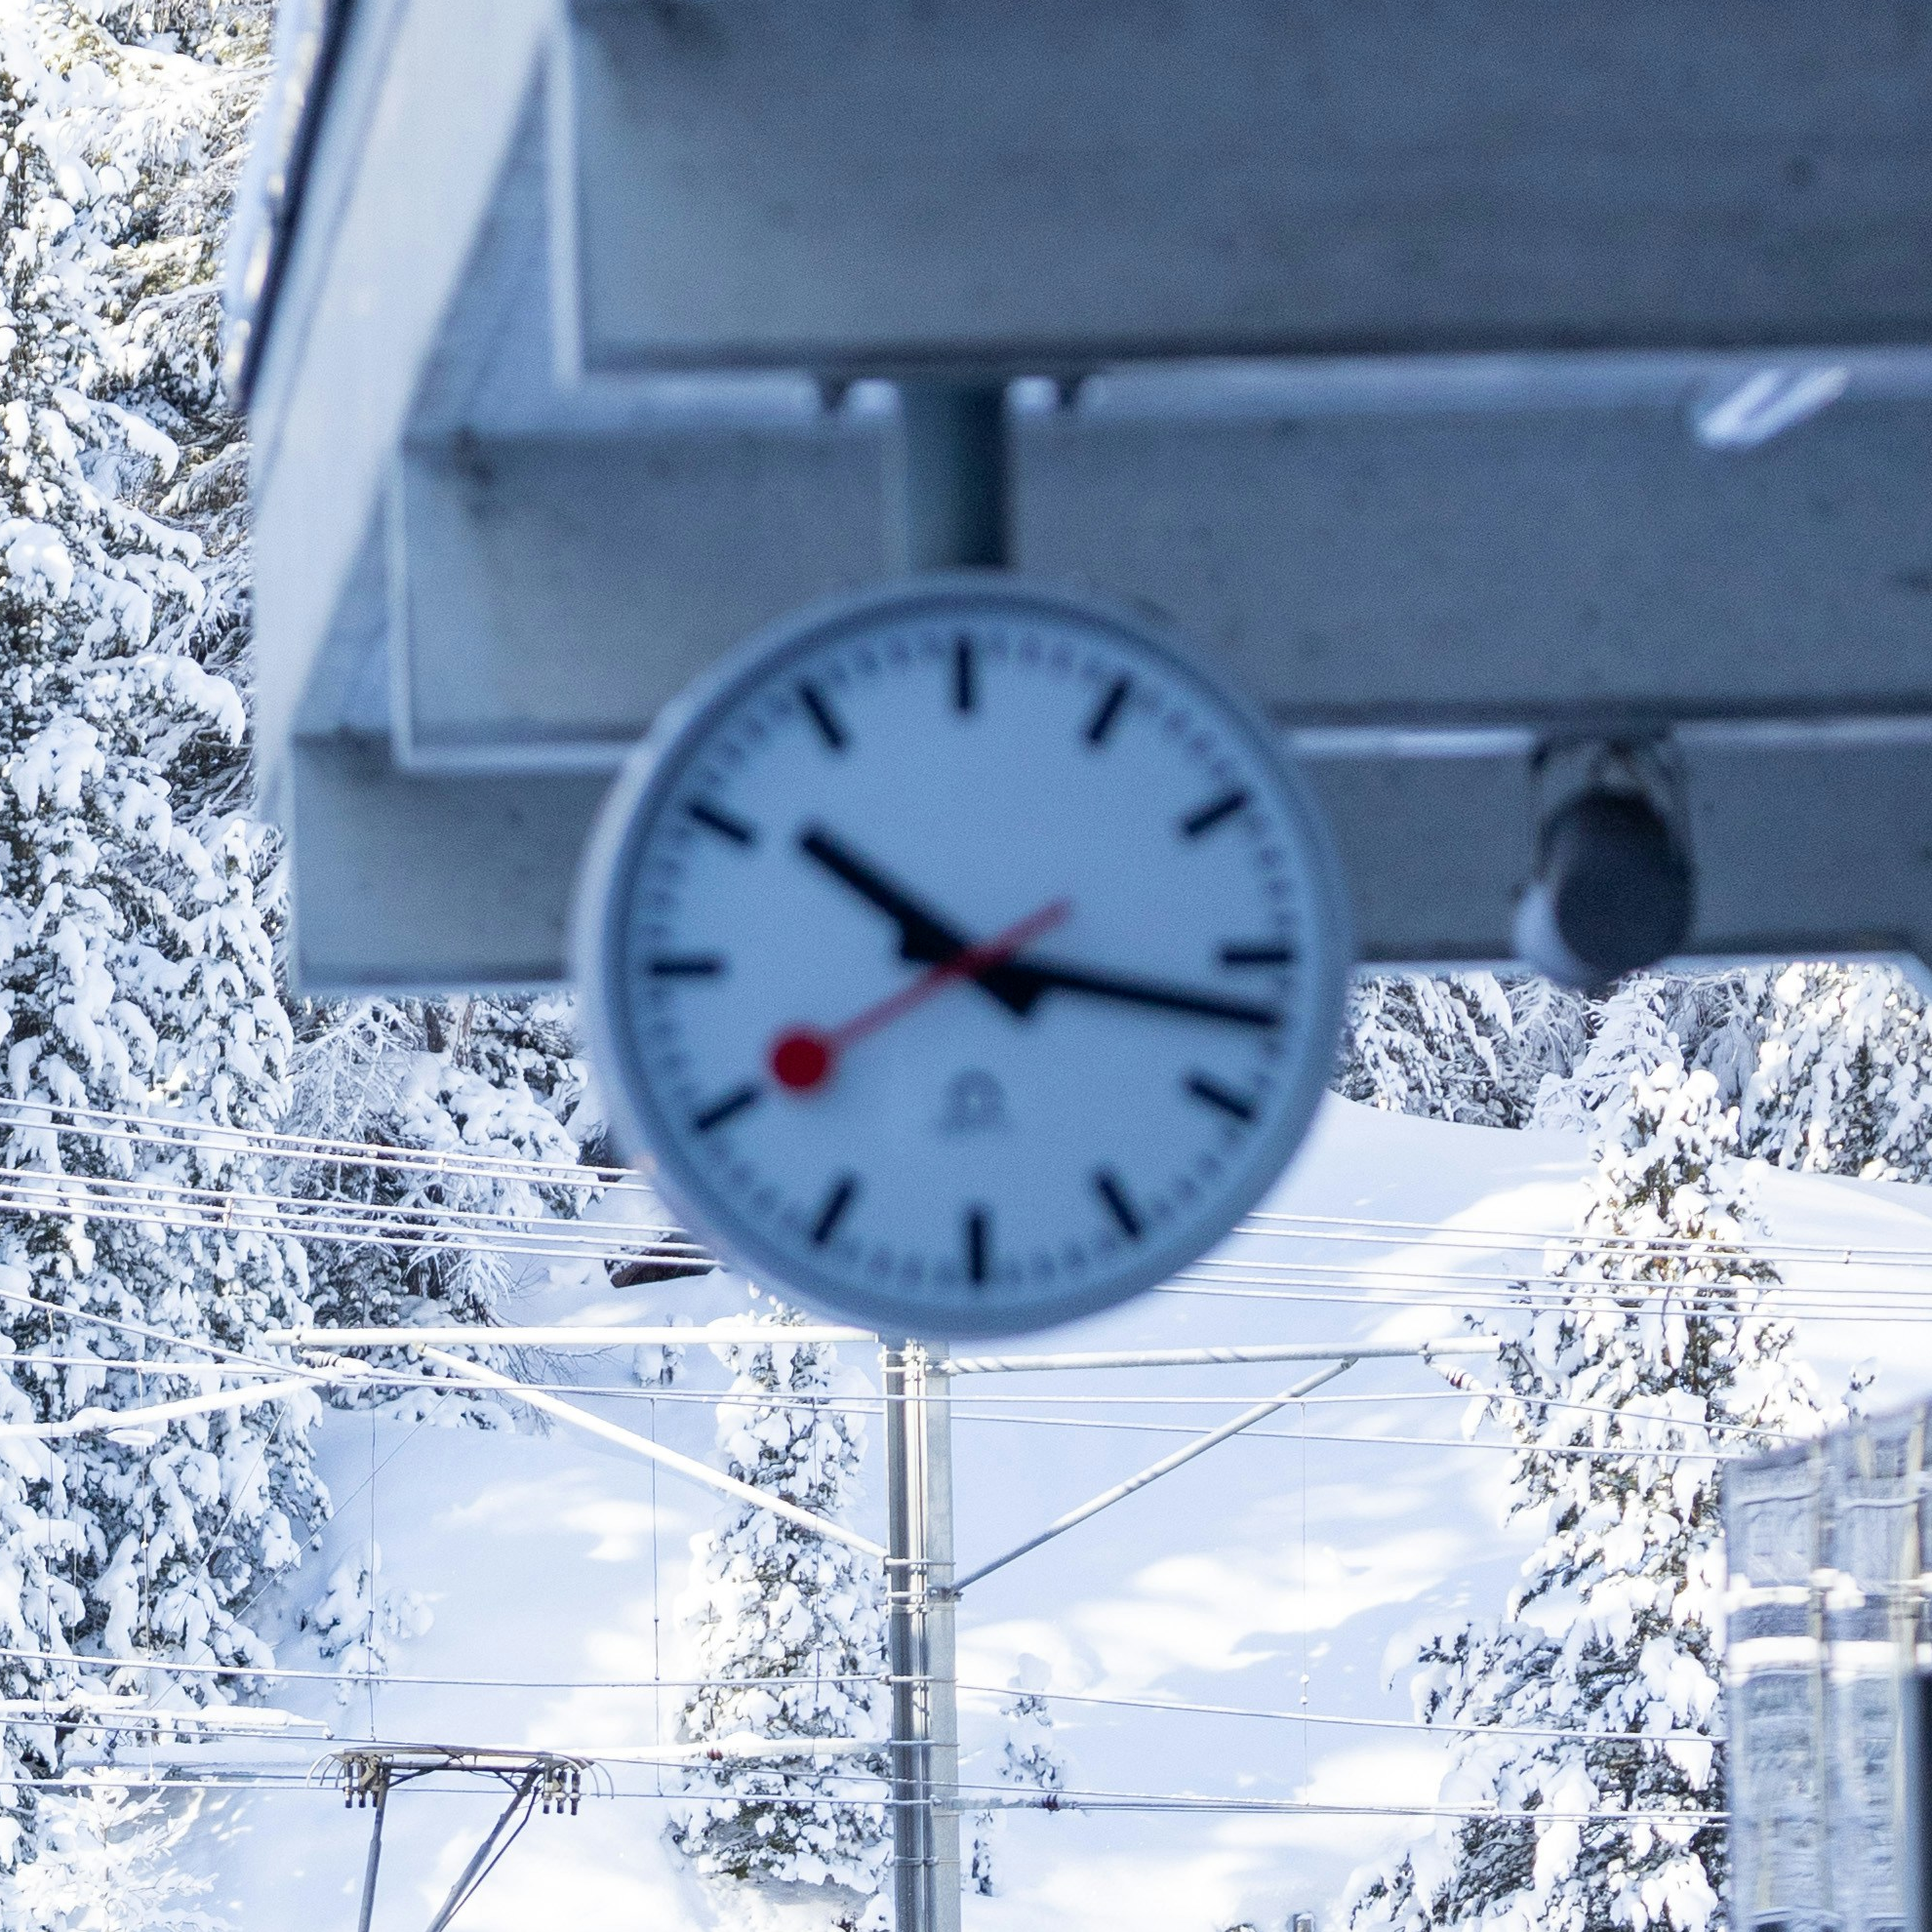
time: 10:17
